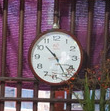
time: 10:24
